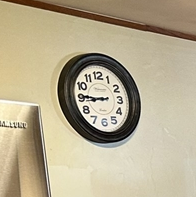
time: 8:45
